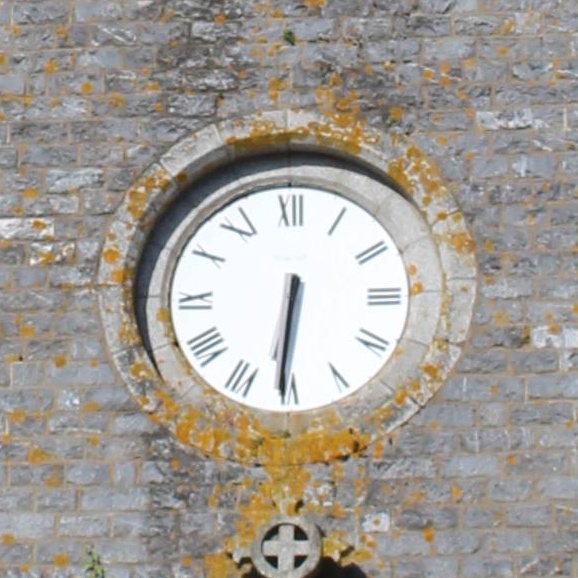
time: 6:31
